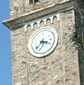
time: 3:37
